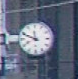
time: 11:48
